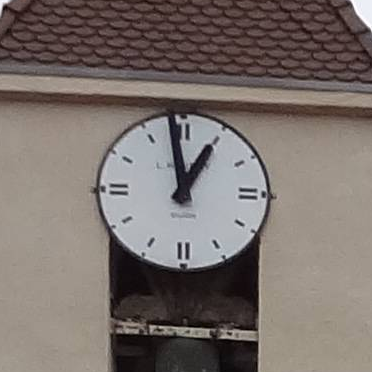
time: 12:58
